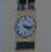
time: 4:17
